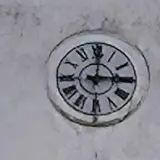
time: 3:00
